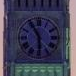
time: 5:55
